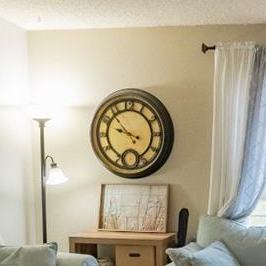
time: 9:53
